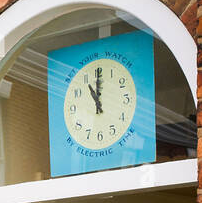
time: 11:00
